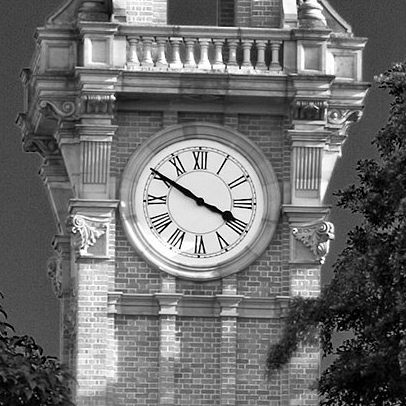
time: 3:50
